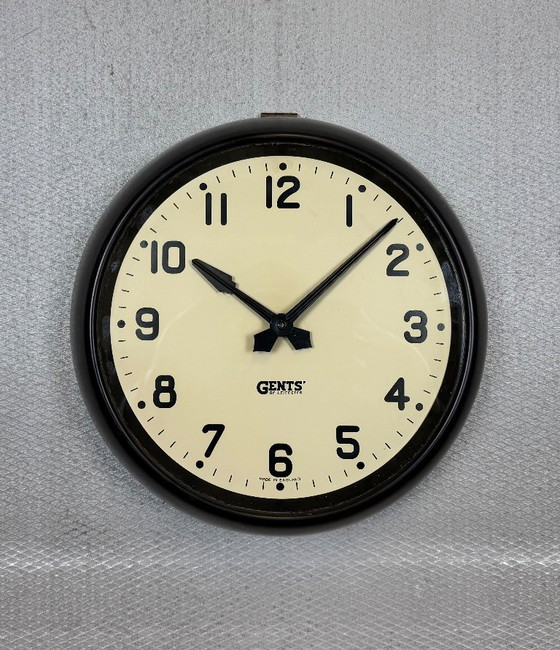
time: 10:07
